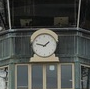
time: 1:46
